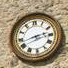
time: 2:42
